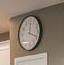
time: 12:18
